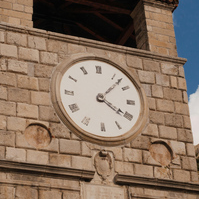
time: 4:07
